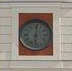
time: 6:01
